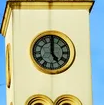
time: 5:00
